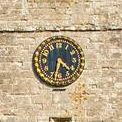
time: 4:32
